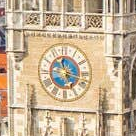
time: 11:17
